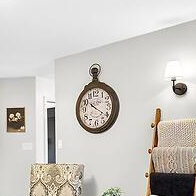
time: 10:20
